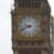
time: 9:41
